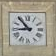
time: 8:53
